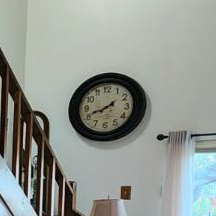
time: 1:41
